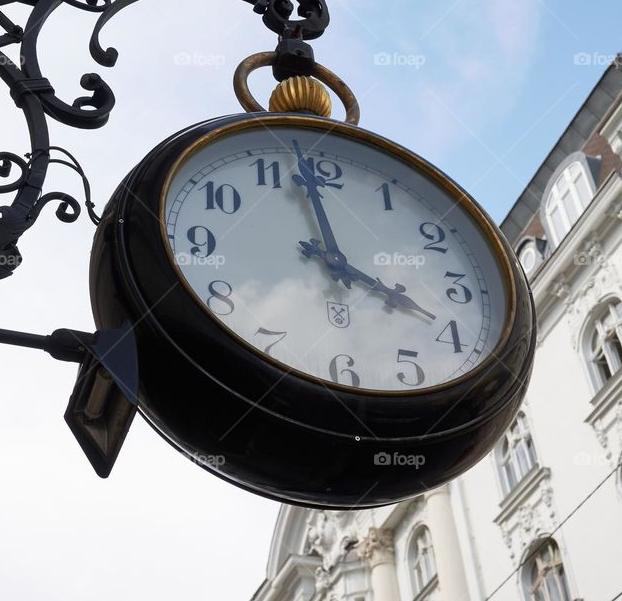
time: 3:58
